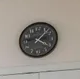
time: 4:07
